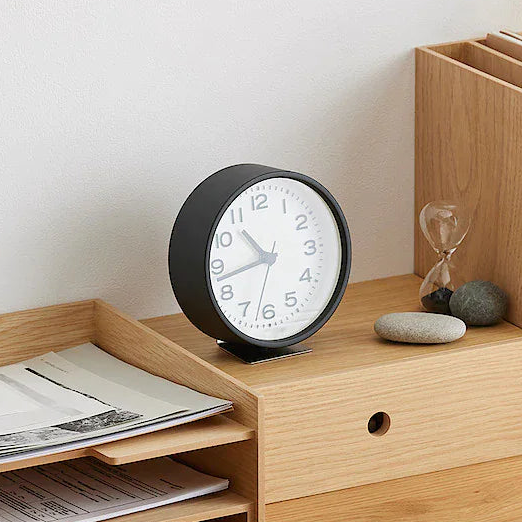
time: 10:42
